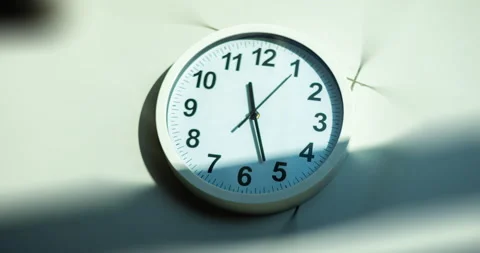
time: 11:26
